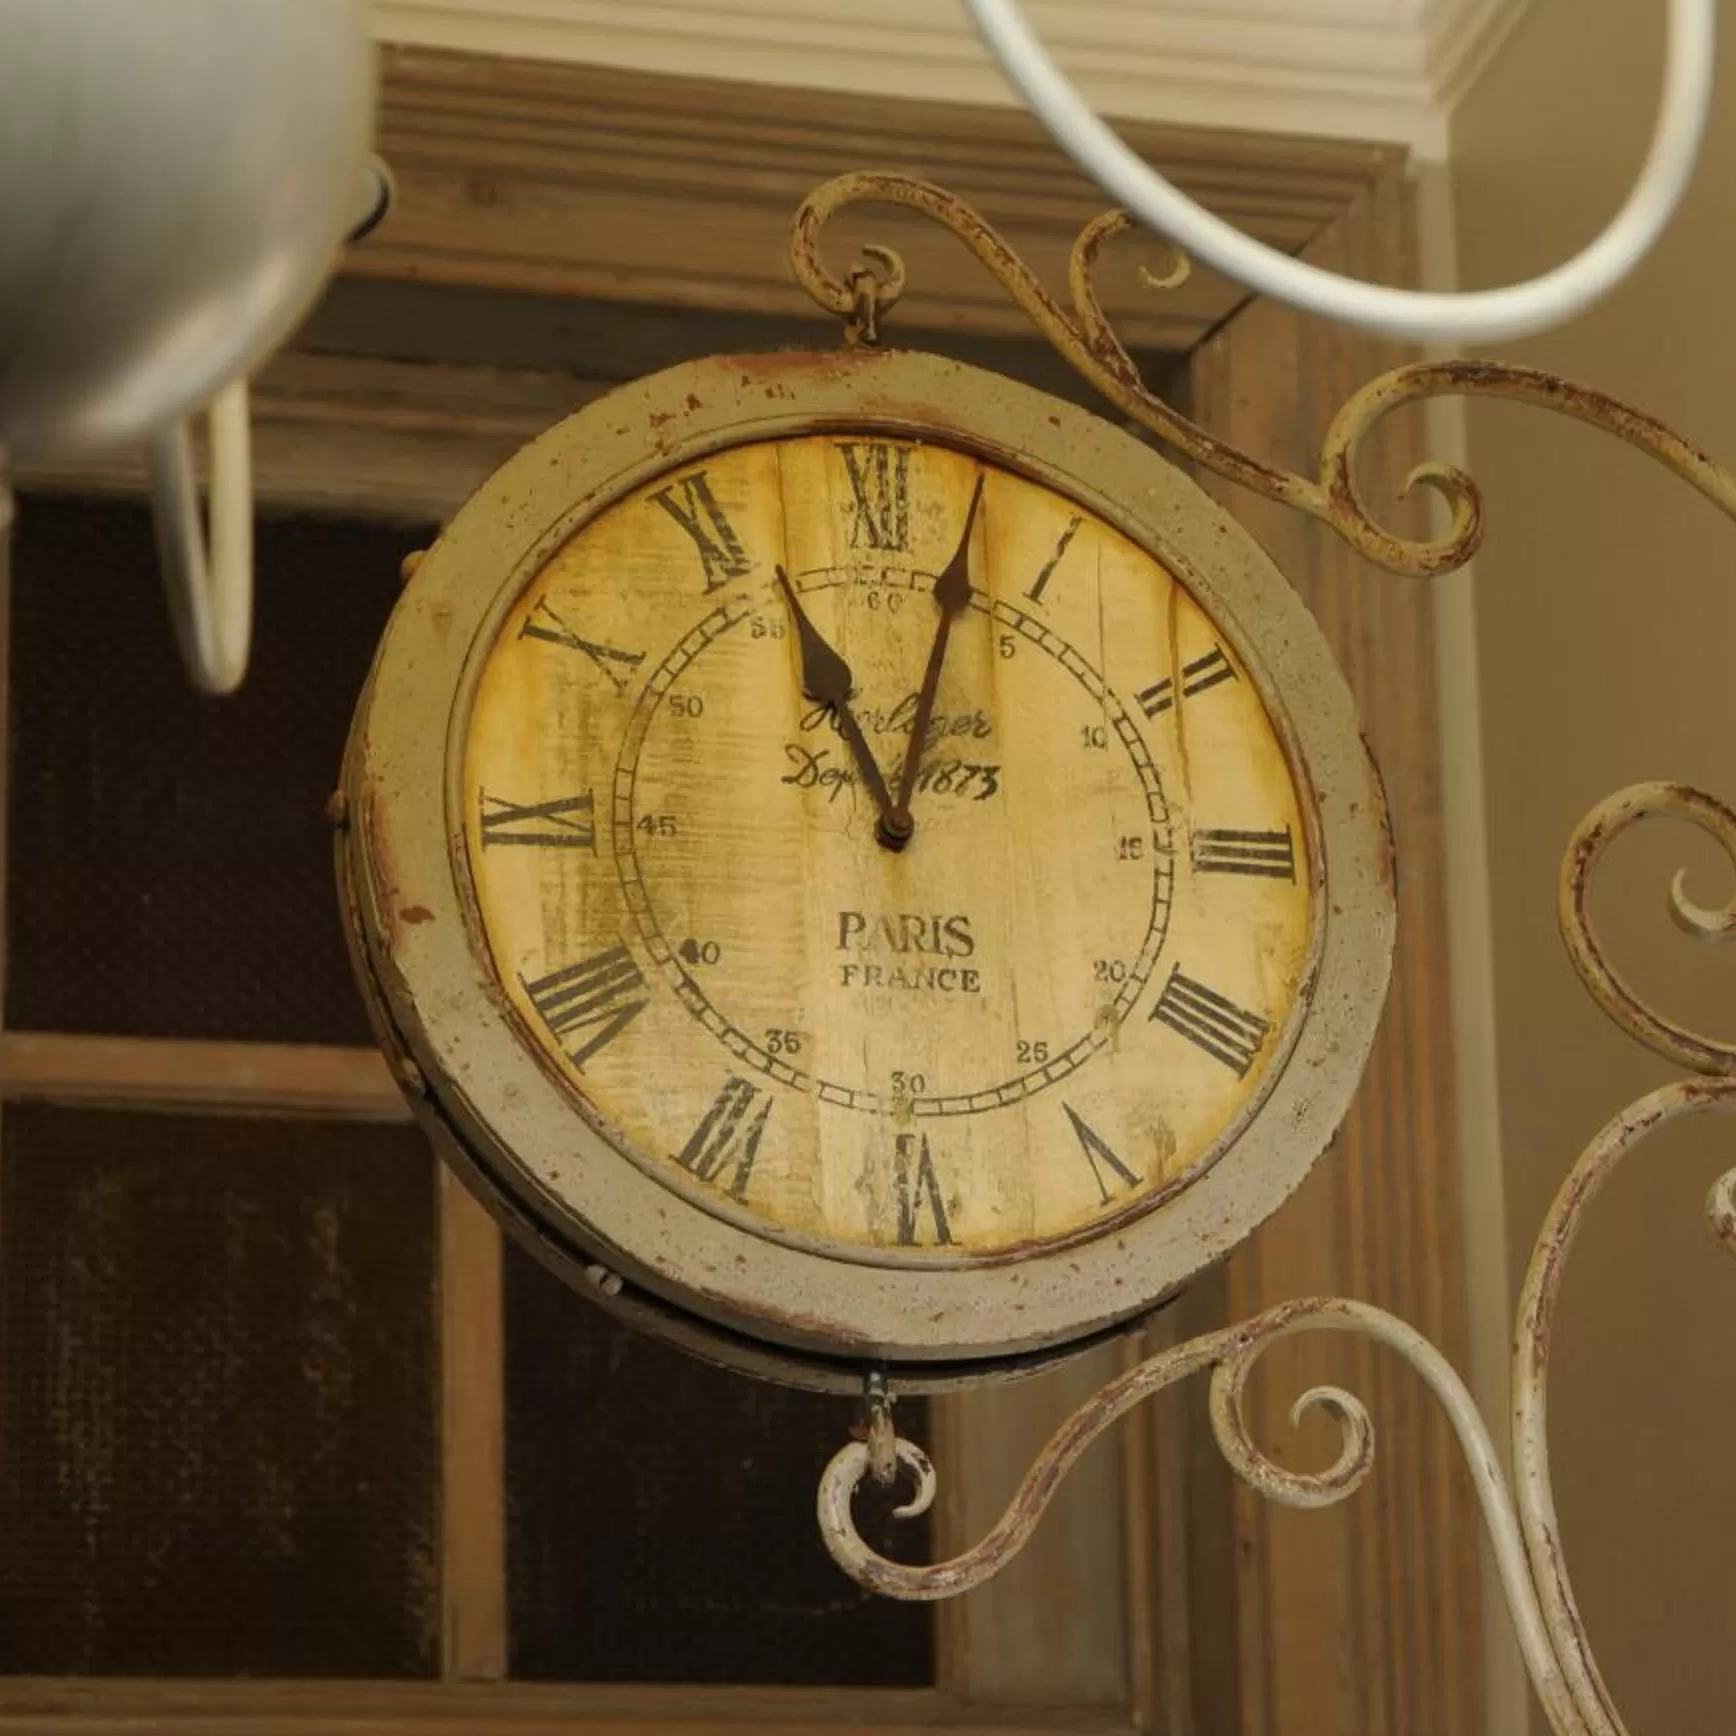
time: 11:02
